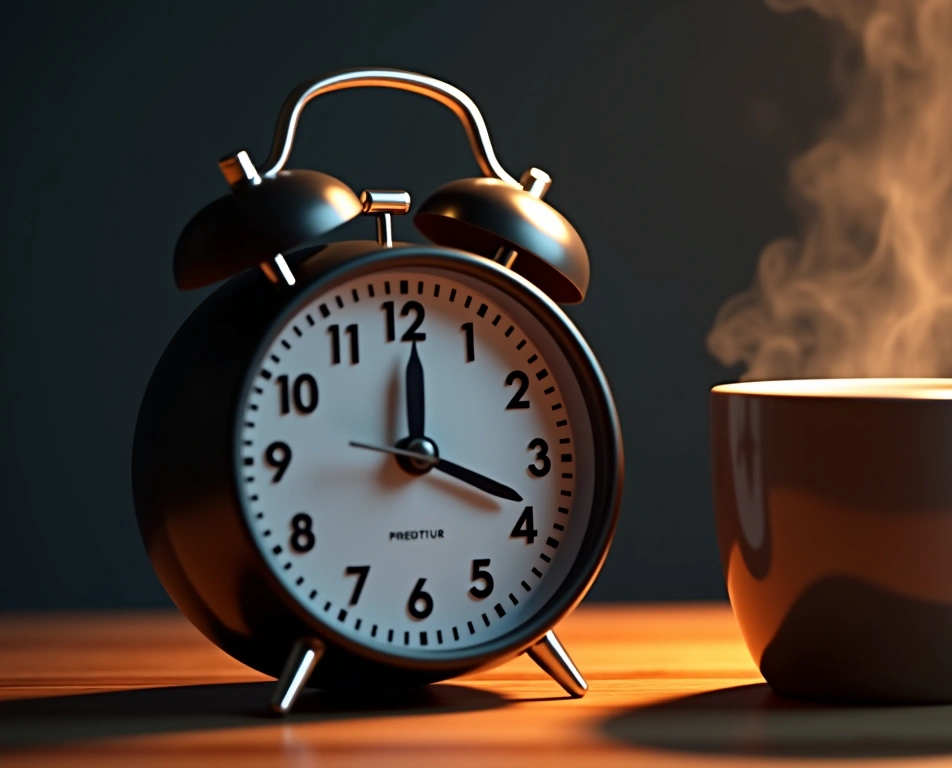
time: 12:18
